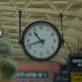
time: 10:42
